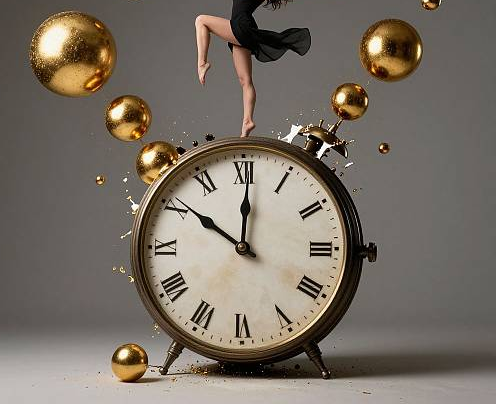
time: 10:00
